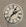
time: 2:04
